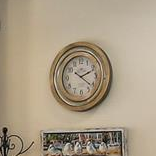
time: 2:21
